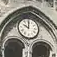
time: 10:00
